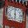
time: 5:59
